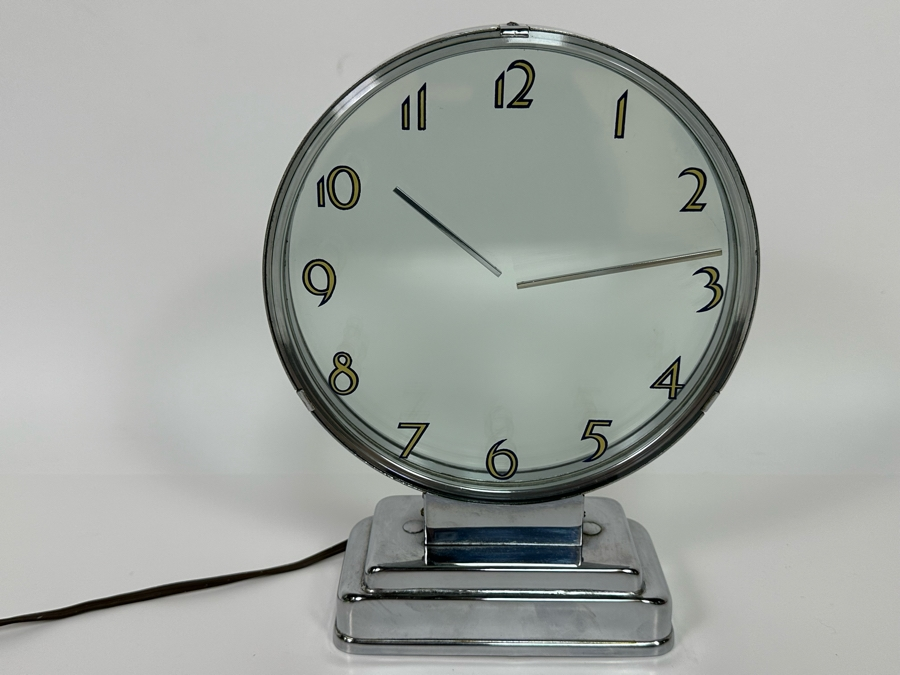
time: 10:13
